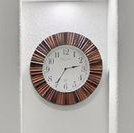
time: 2:35
